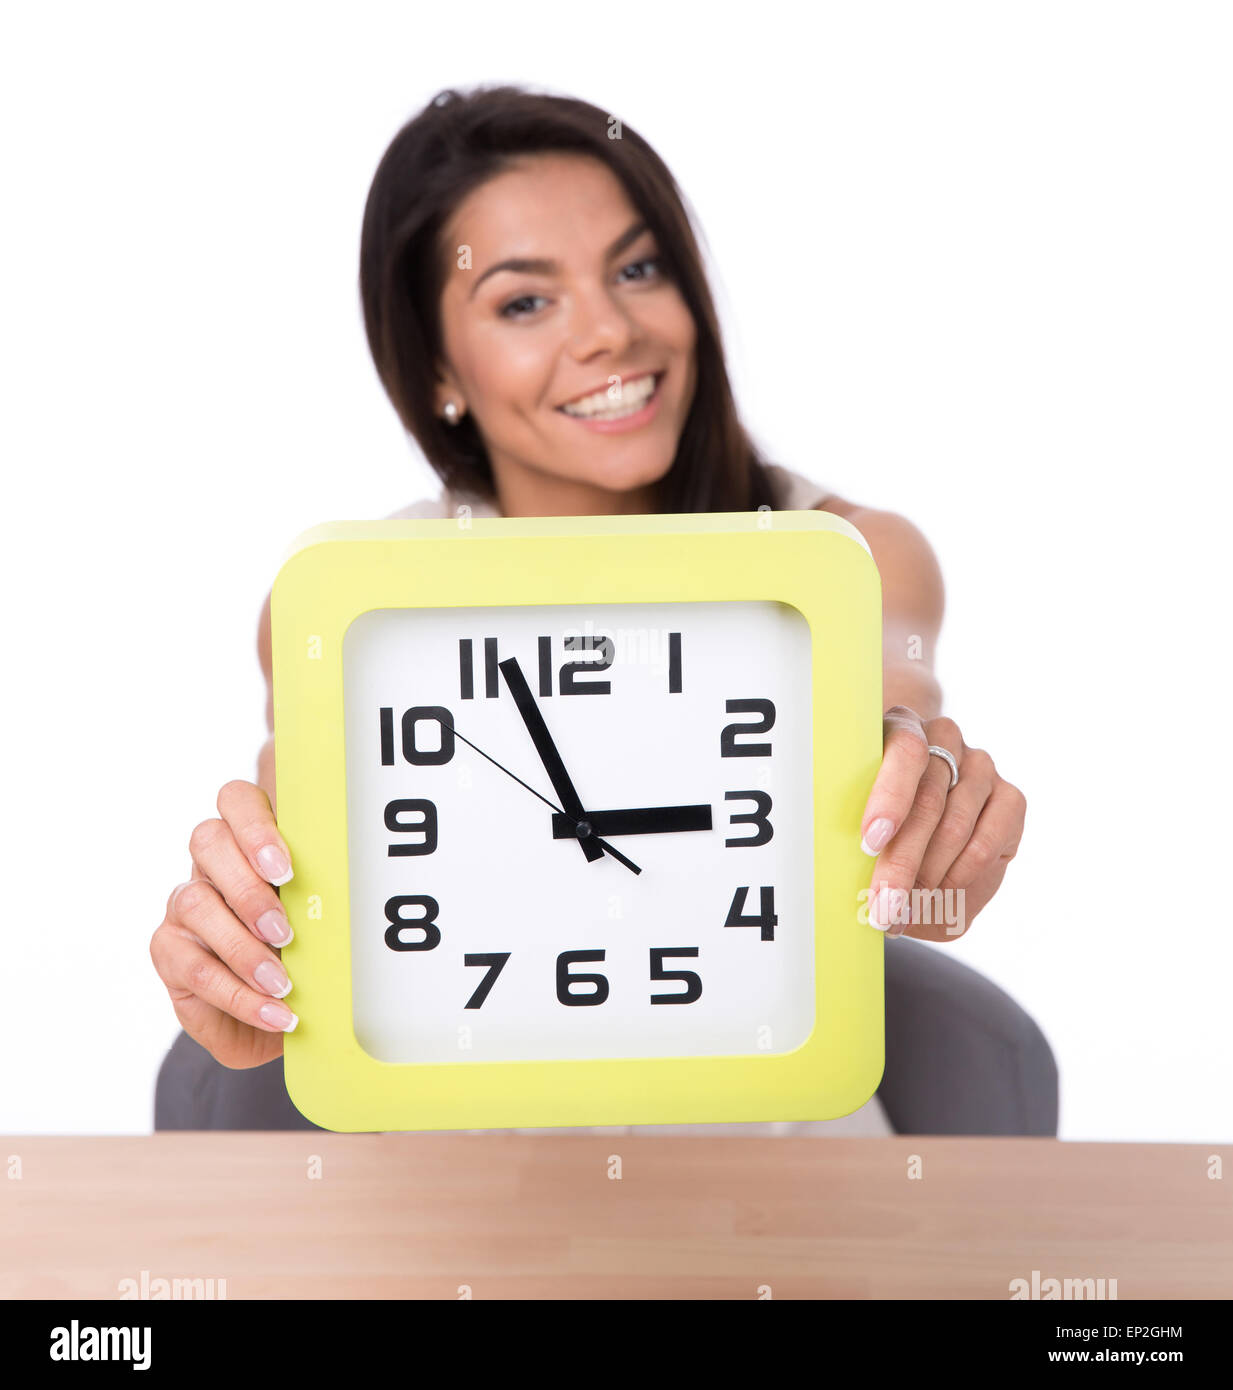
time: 2:56
